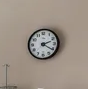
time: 2:20
